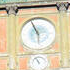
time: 5:56
